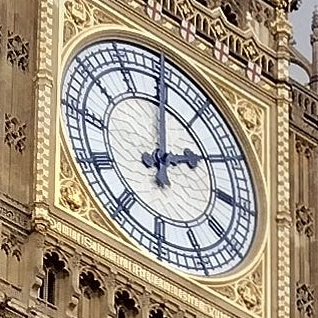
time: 2:00
